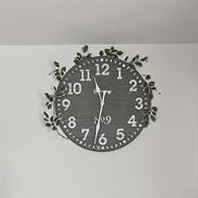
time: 11:31
